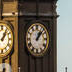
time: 1:07
